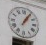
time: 1:05
